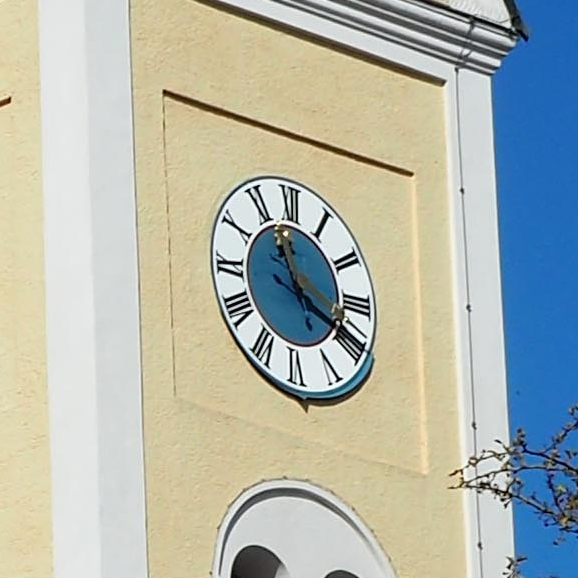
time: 11:19
